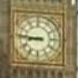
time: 8:46
